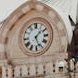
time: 1:26
